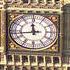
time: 11:43
